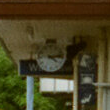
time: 4:13
